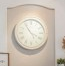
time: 3:54
